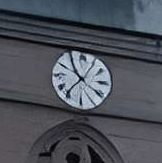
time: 10:36
